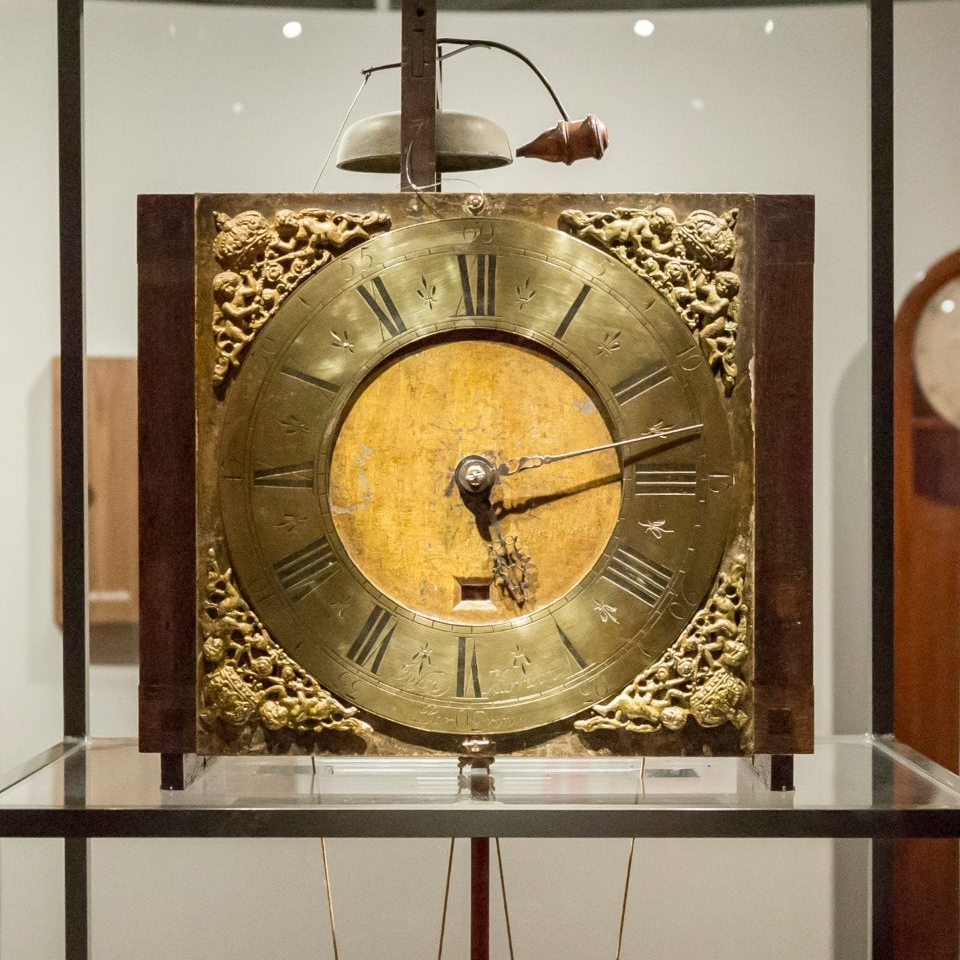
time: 5:12
